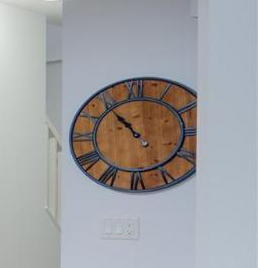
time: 10:53
